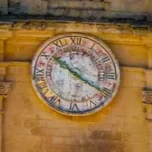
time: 10:20
